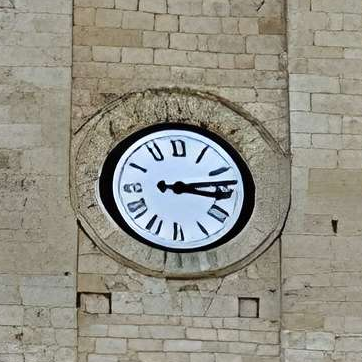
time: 3:13
